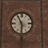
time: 5:55
